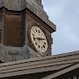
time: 8:11
